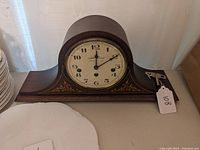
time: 12:09
